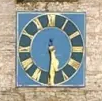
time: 5:30
